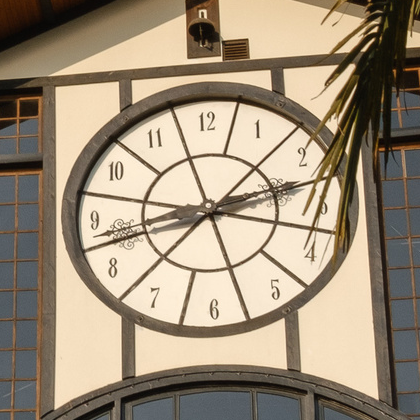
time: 2:42
